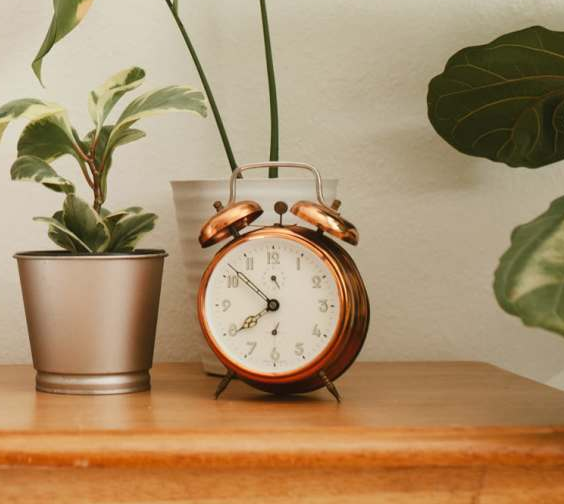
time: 7:51
